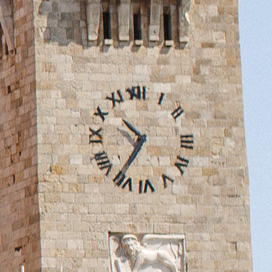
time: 10:36
